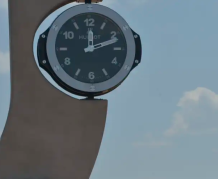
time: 12:11
